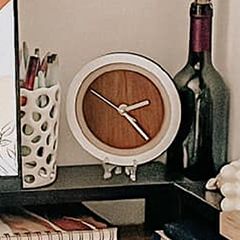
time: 2:23
